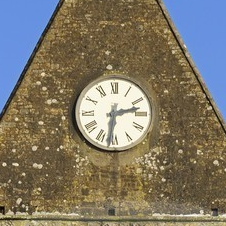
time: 2:31
